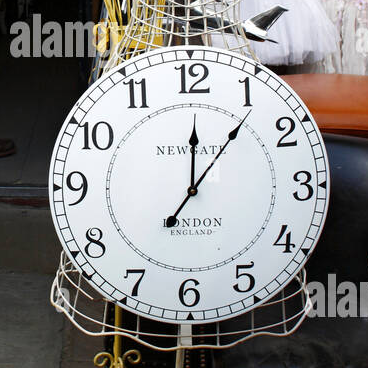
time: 12:06
